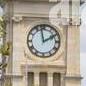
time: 1:58
